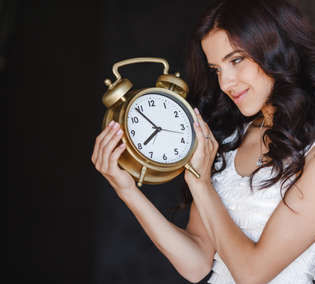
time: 7:53
